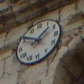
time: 1:50
